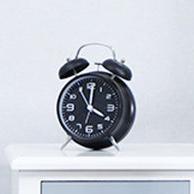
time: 4:01
